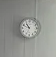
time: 10:48
